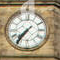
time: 7:36
